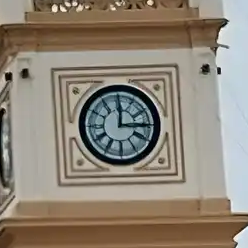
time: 12:14
